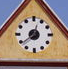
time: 12:38
